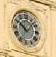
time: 10:07
